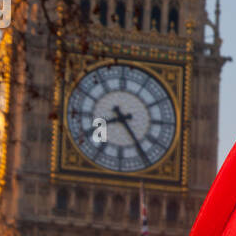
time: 8:24
